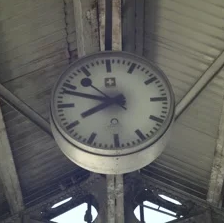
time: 7:48
